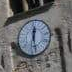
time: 12:28
